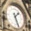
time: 1:26
